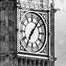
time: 7:07
